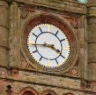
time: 3:43
